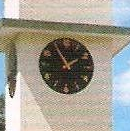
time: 1:54
